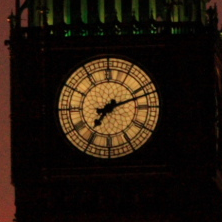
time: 7:11
